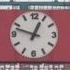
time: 12:47
